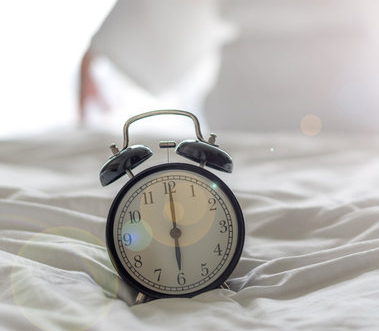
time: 6:00
